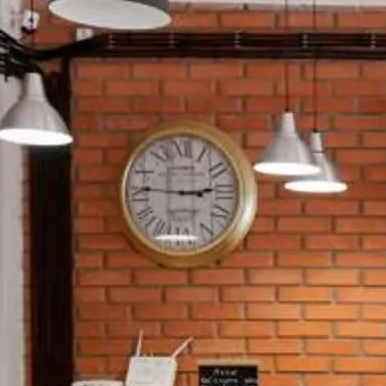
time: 2:46
